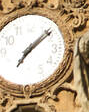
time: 7:08
